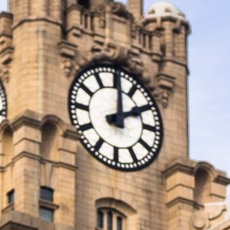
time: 2:00
